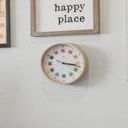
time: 3:17
